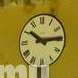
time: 10:14
